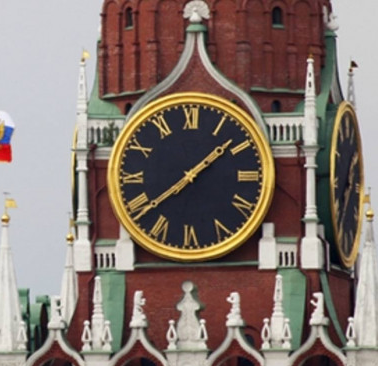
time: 1:38
